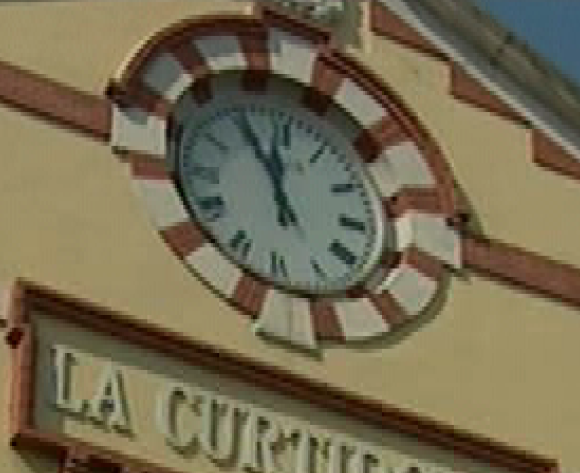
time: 11:55
